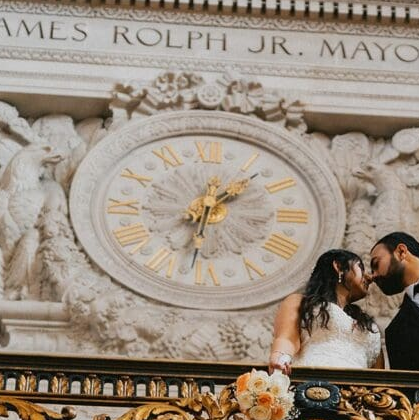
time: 1:32
